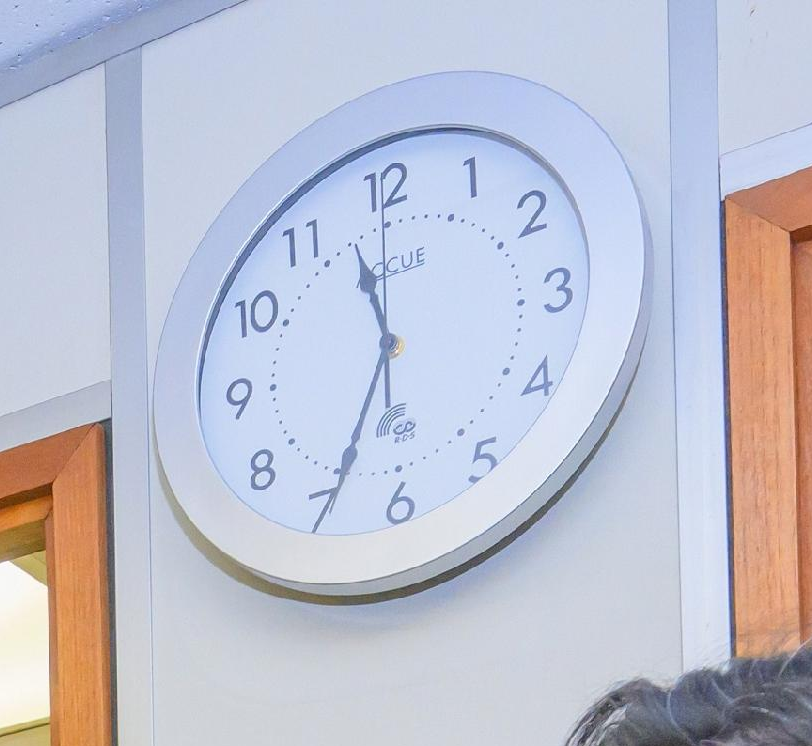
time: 11:34
